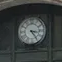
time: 3:24
